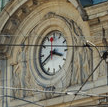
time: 3:40
